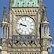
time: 9:47
